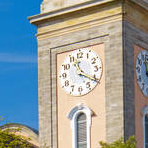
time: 11:20
